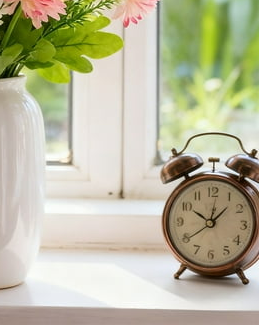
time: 10:07
